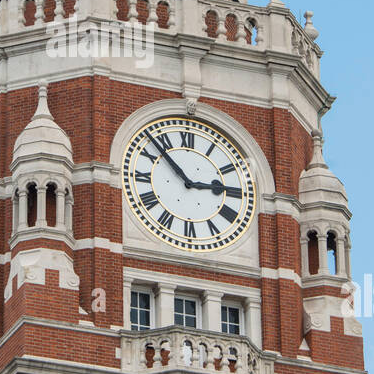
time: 2:52
